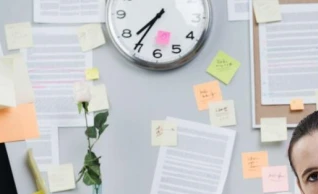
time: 7:35
